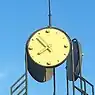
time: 7:52
